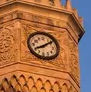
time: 8:09
